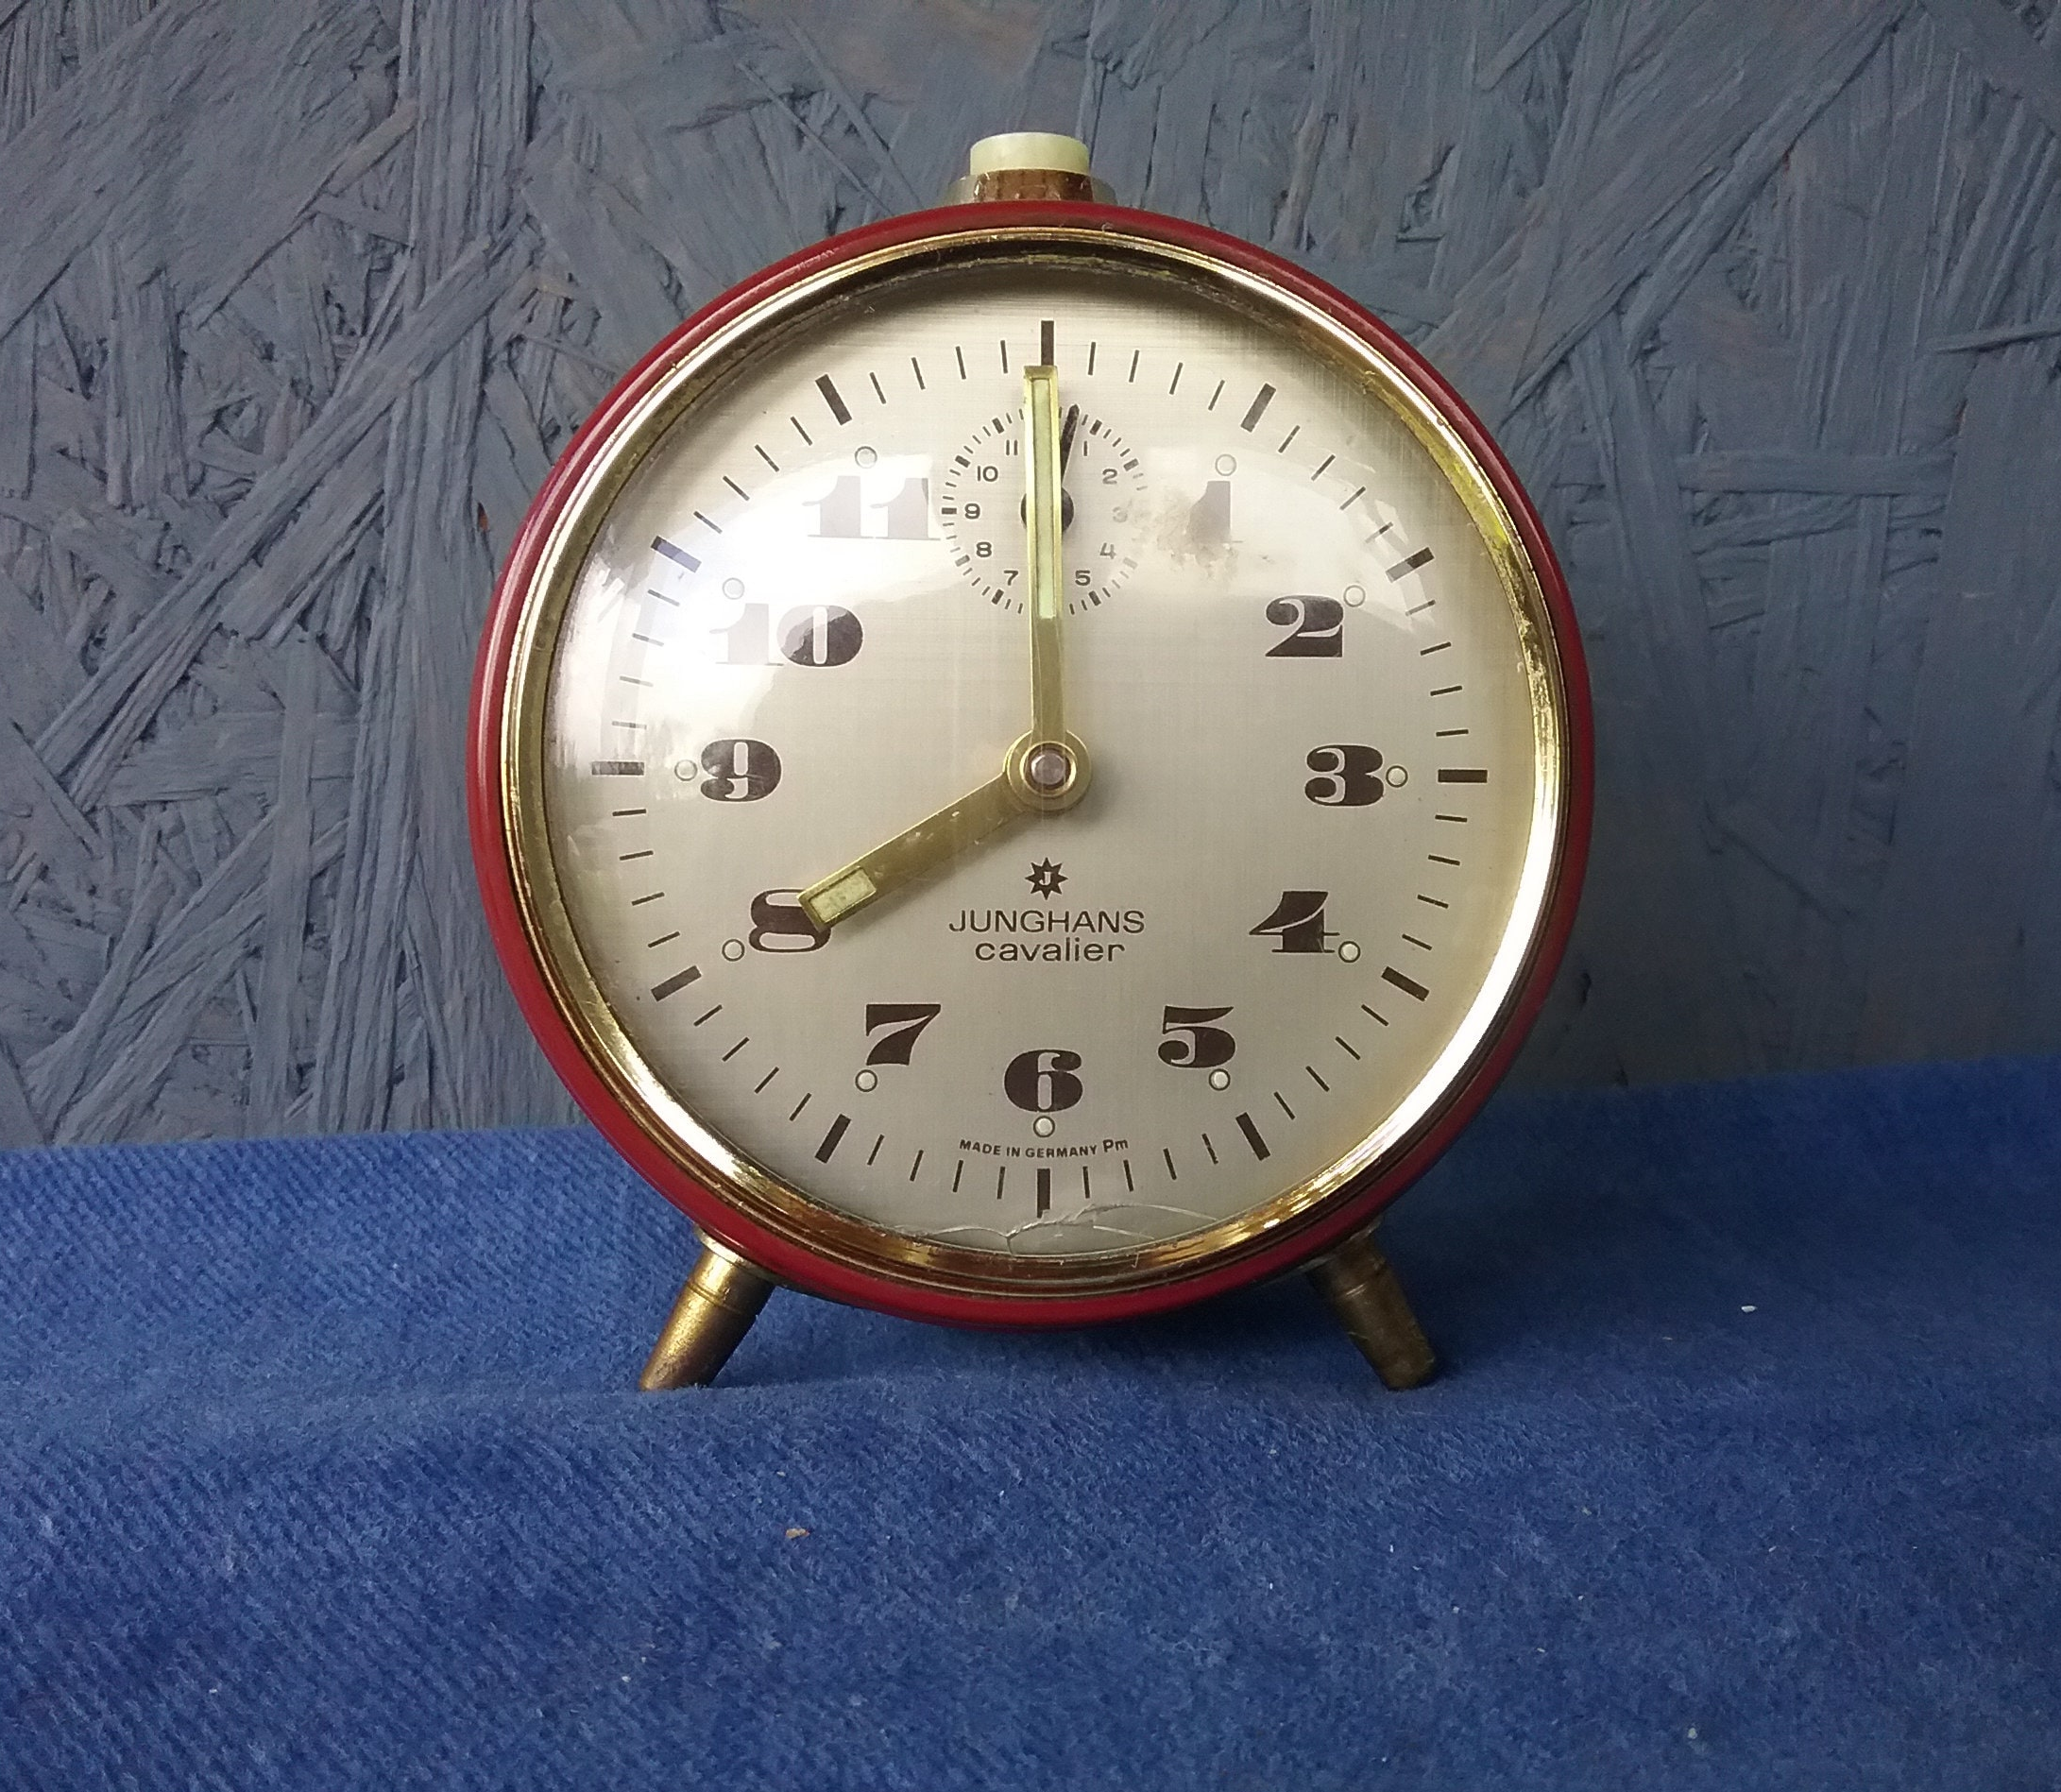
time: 8:00
